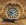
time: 9:38
